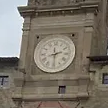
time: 2:29
